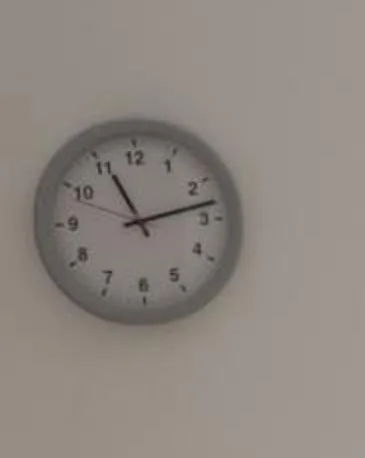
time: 11:12
